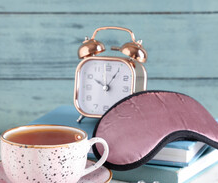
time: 10:05
